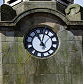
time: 11:02
